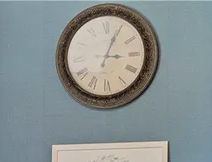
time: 3:04
